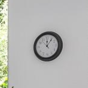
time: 12:06
